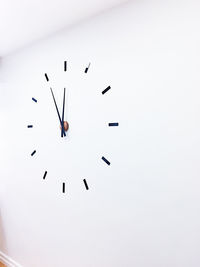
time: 11:55
